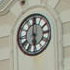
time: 5:59
